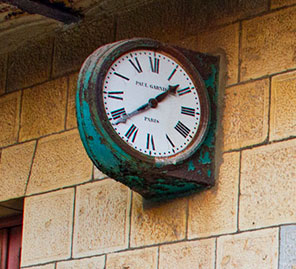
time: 1:38
